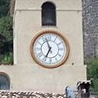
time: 6:56
